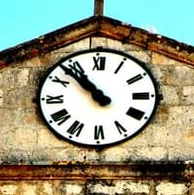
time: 10:52
